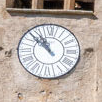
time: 10:51
